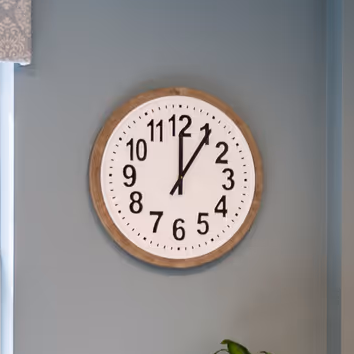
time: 12:05
